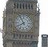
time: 7:55
